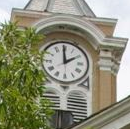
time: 1:59
